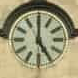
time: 5:00
